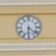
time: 6:21
